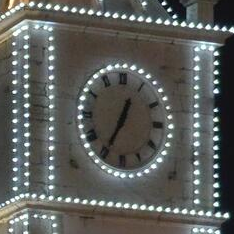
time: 12:34
